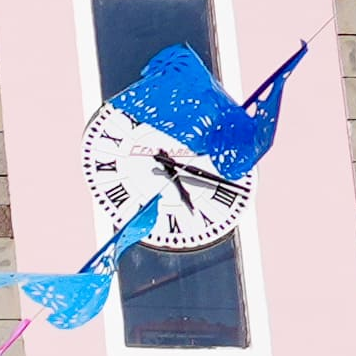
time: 5:18
